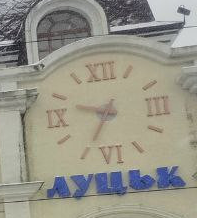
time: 9:34
